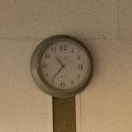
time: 10:36
